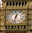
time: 12:32
